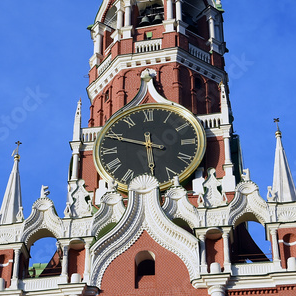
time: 5:48
